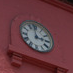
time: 2:58
